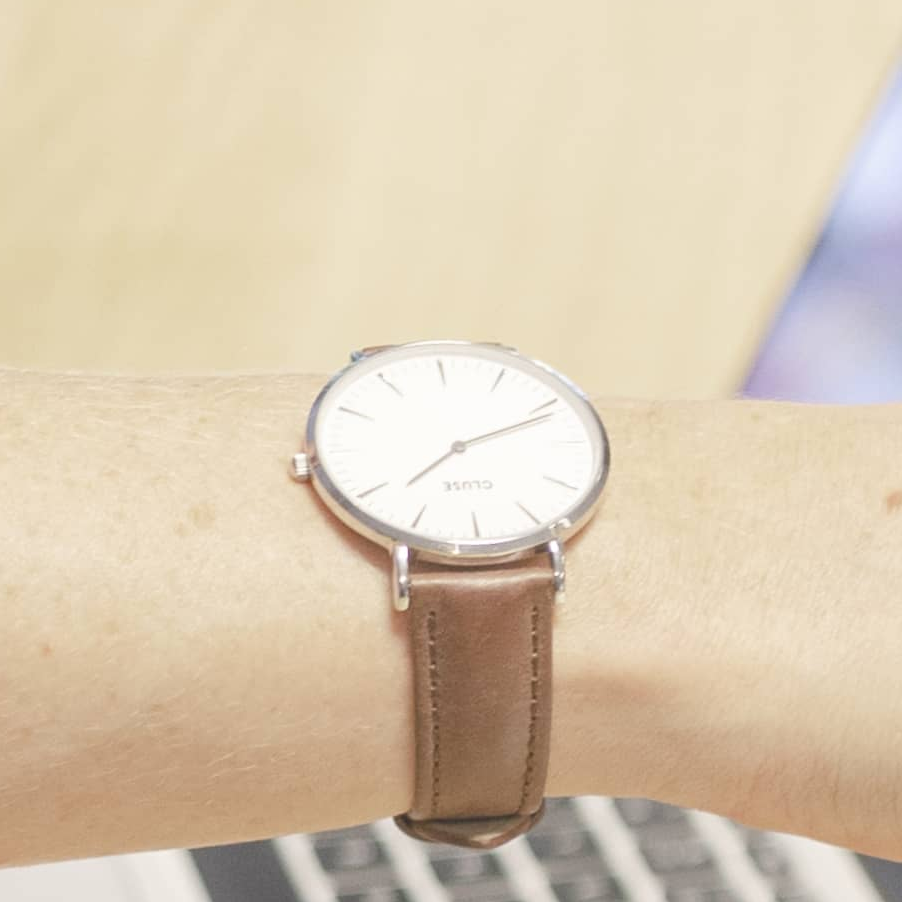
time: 7:11
